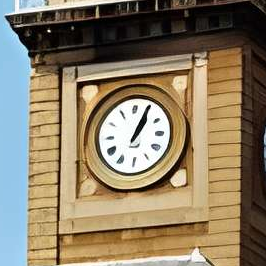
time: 1:04
